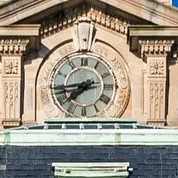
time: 7:43
